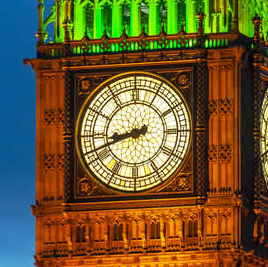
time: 8:41
